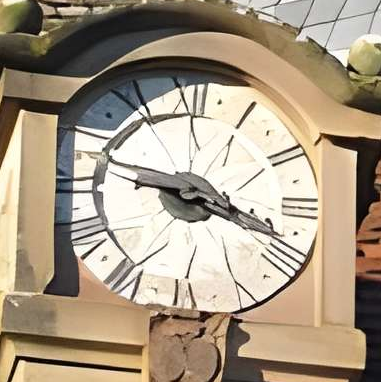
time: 9:17
